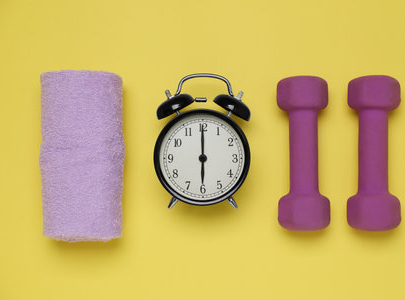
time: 6:00
